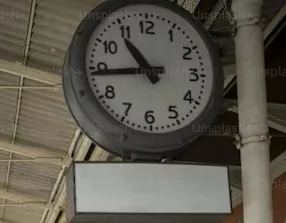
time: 10:43
